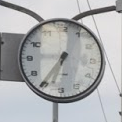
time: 6:35
